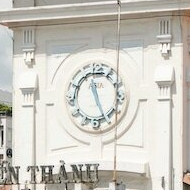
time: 11:25
